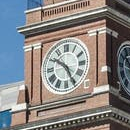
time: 10:25
